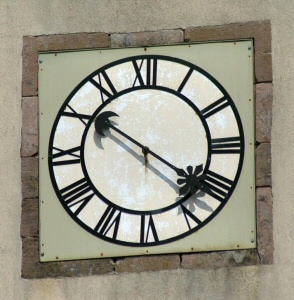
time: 10:20
